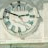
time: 2:48
